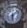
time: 6:08
